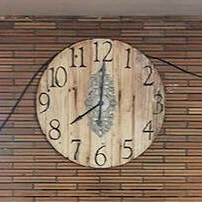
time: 8:00
